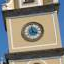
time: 3:58
